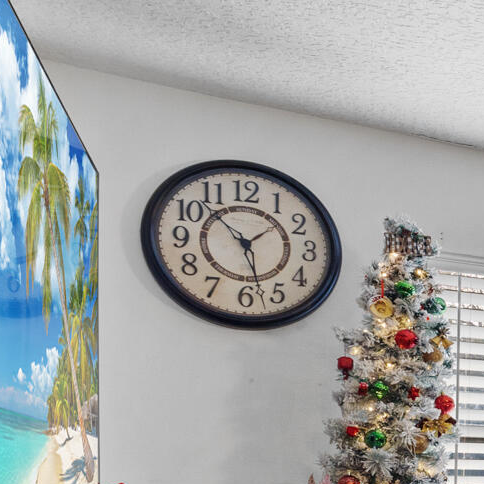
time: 10:27
